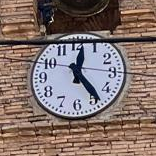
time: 12:24
